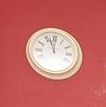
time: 11:56
